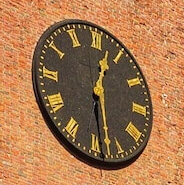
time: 12:28
